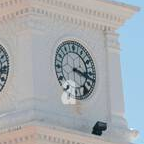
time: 3:17
